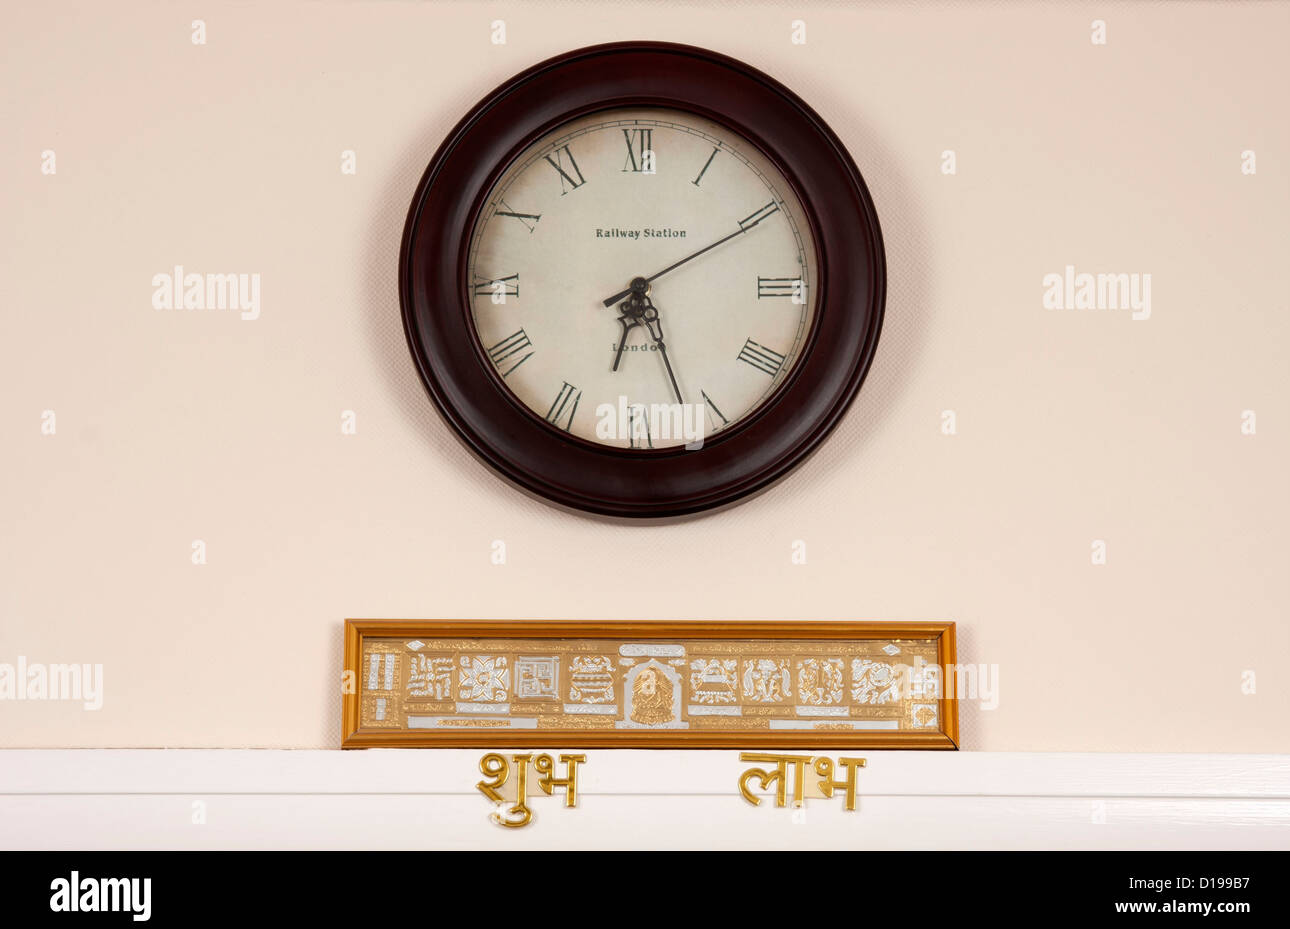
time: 6:26
